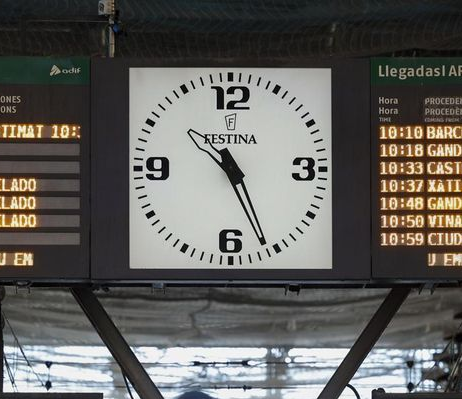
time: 10:26
